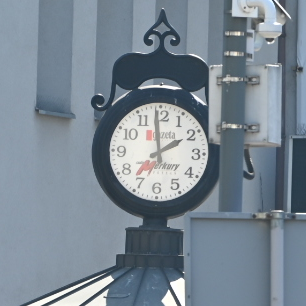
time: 1:59
